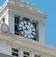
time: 10:41
